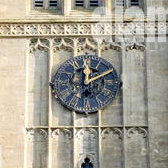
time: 12:10
